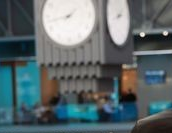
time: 1:42
